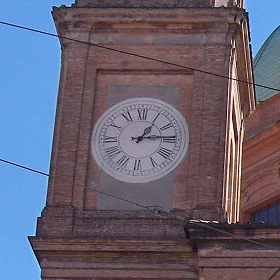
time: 1:13
